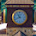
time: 10:41
